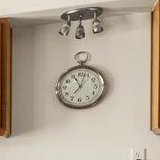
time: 11:02
